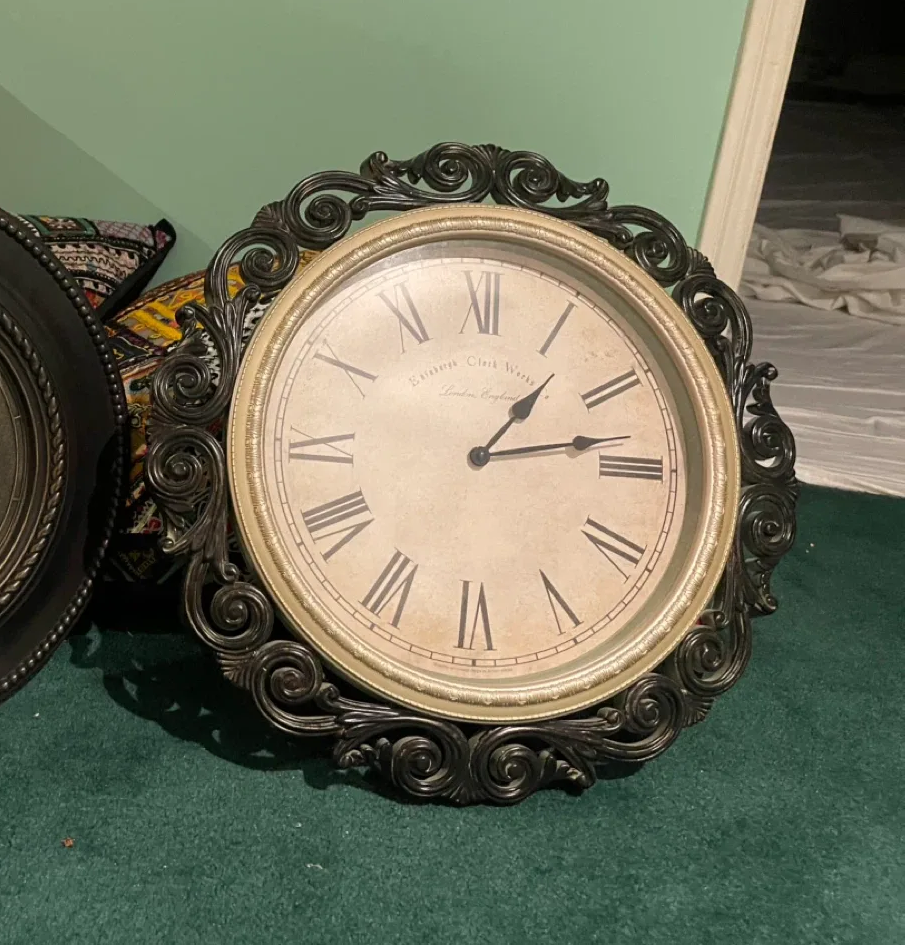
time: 1:13
